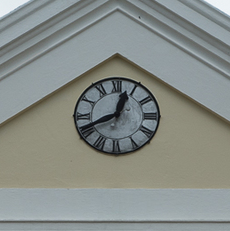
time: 12:41
